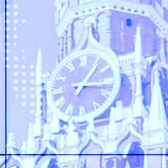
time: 1:16
